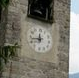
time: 11:43
